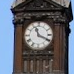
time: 11:19
